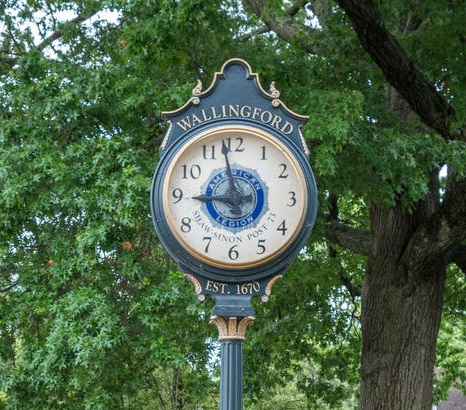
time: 8:57
